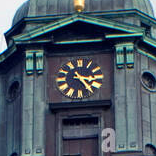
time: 3:23
